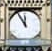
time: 11:54
